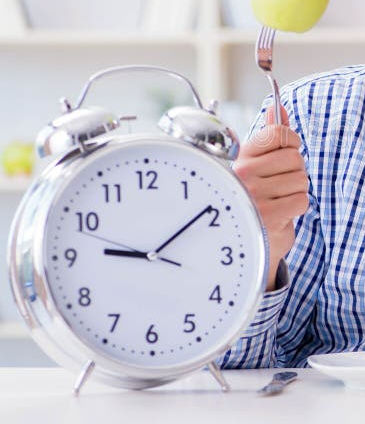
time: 9:09
